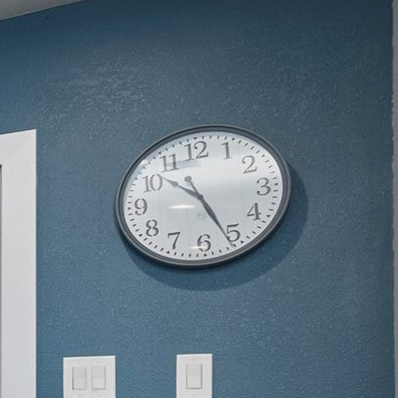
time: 10:26
